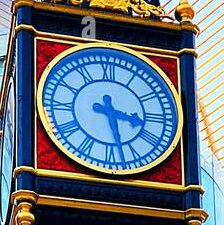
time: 3:27
